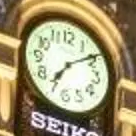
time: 7:09
